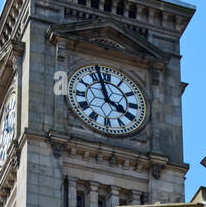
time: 3:57
